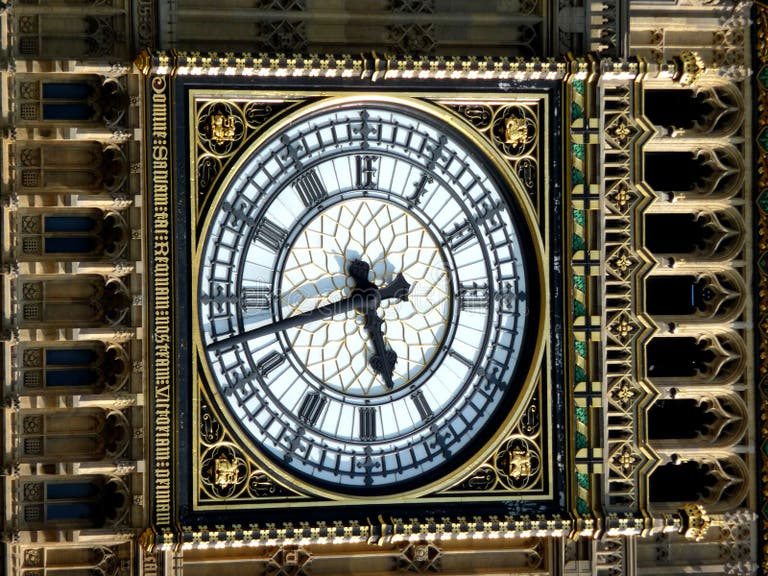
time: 5:42
